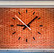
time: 9:07
